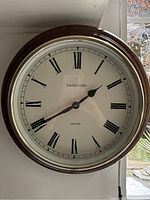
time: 1:40
